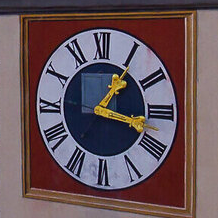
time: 1:17
